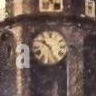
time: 10:26
